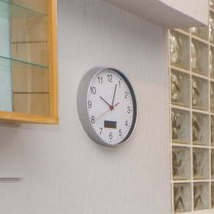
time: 10:03
